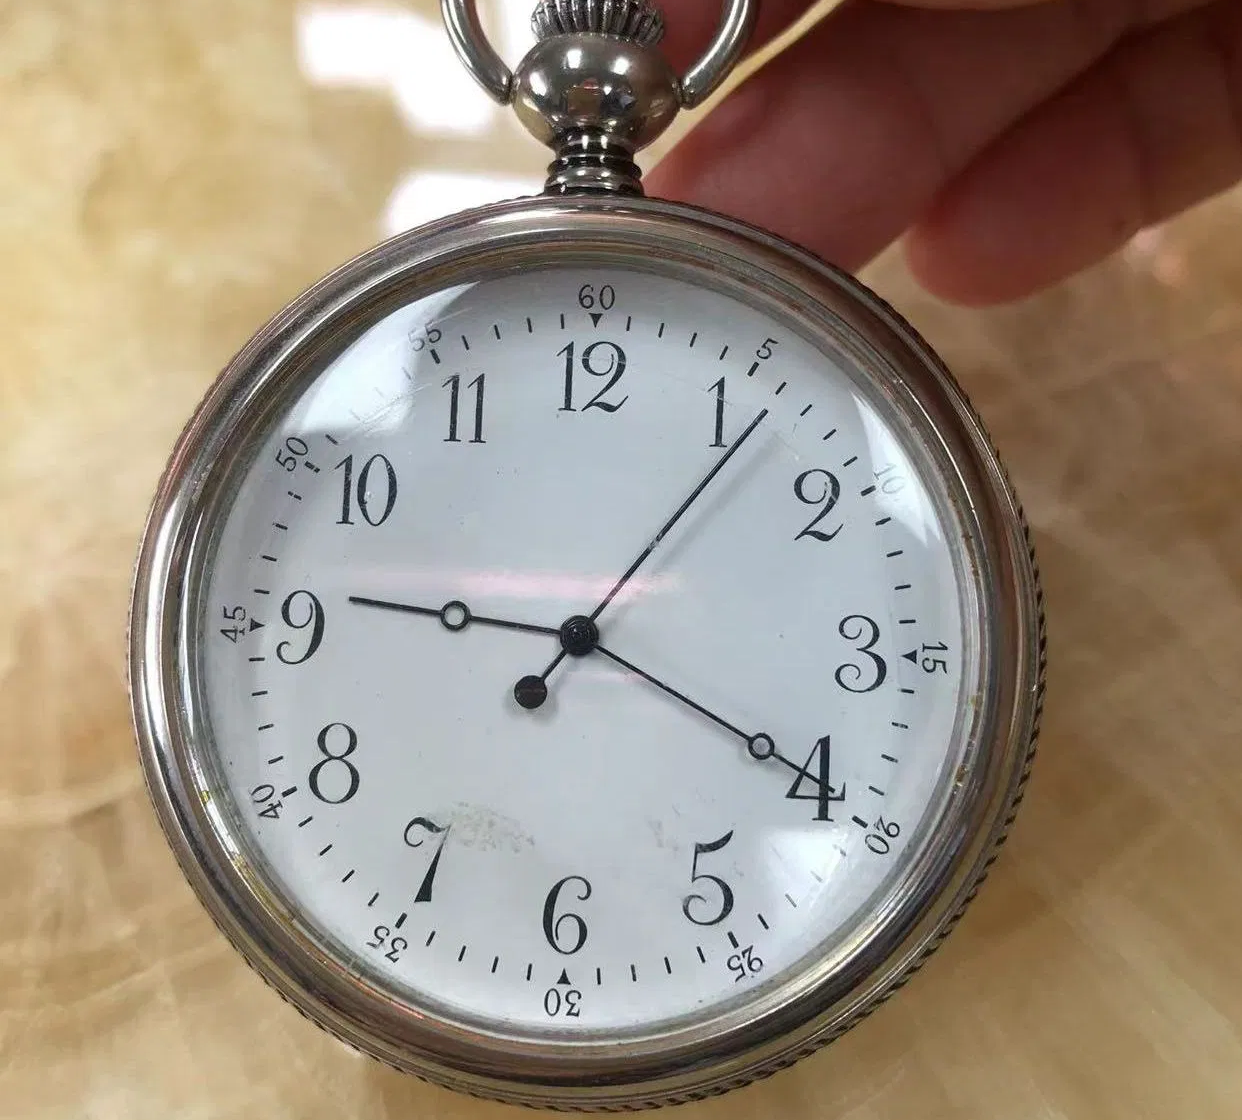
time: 9:19
